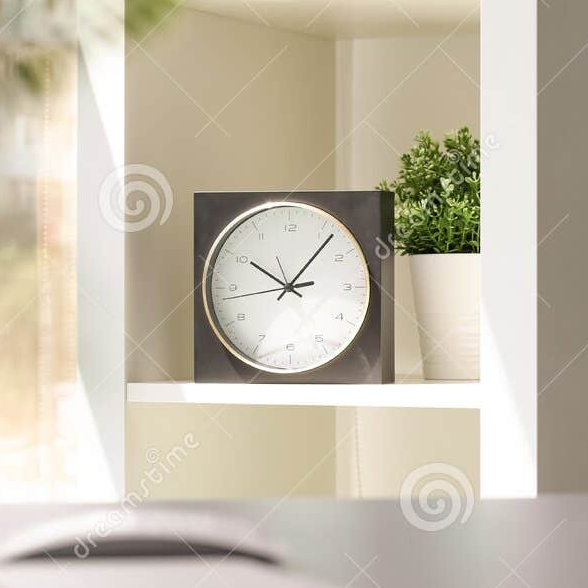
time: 10:06
